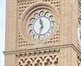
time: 11:32
